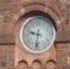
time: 9:32
